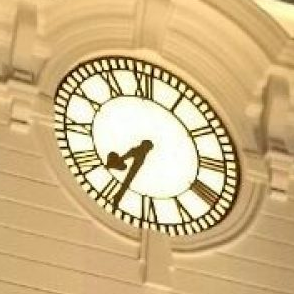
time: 7:34
